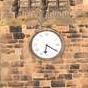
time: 6:20
